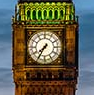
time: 7:35
